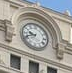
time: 9:41
